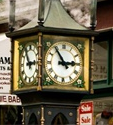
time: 2:54
